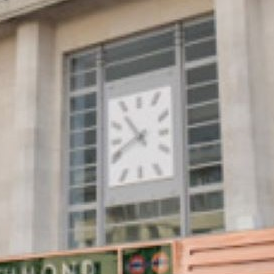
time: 10:41
